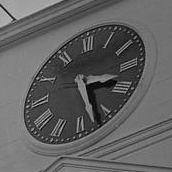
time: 3:27
